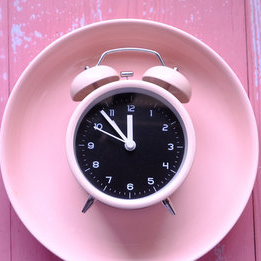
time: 11:53
